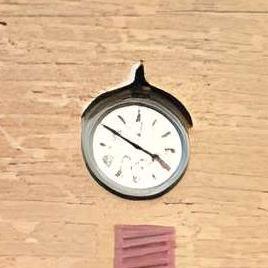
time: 3:50
